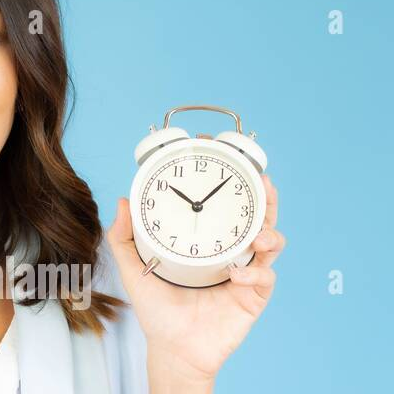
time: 10:07
